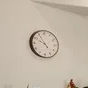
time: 9:54
